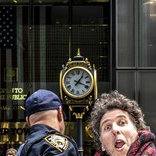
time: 1:18
